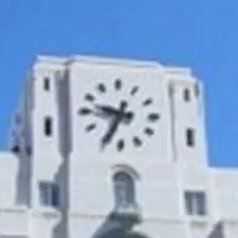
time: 9:34
